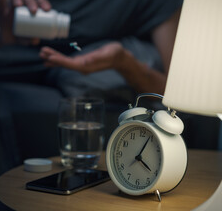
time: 4:04
